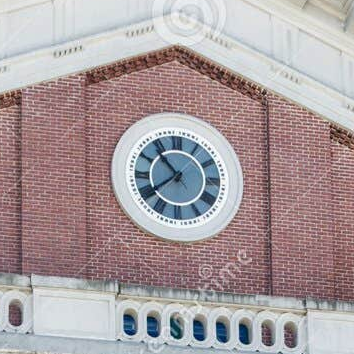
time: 10:38
